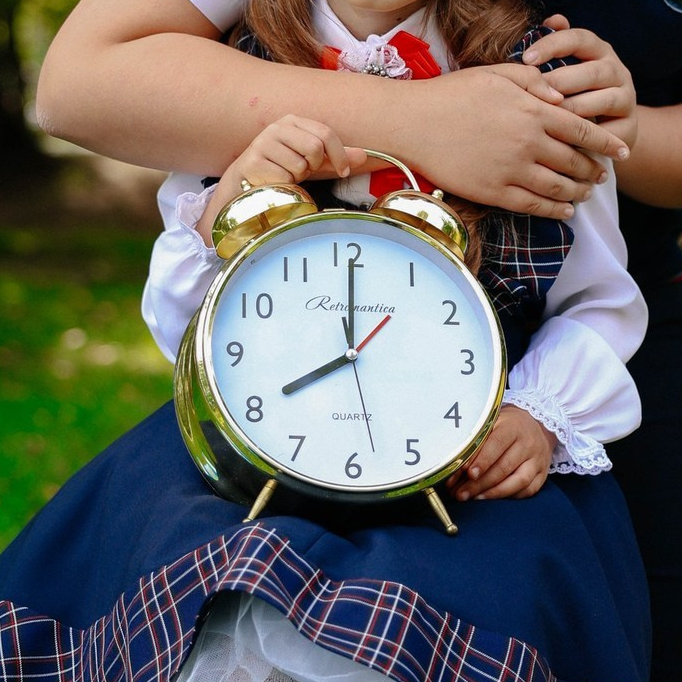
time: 8:00
